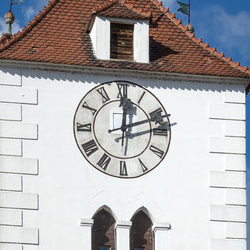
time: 12:11
